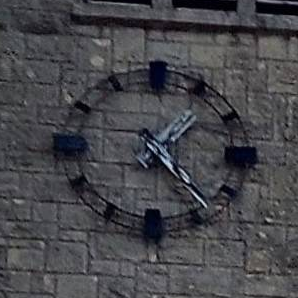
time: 1:23
